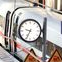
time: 9:34
